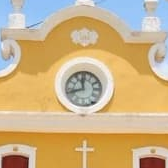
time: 11:41
